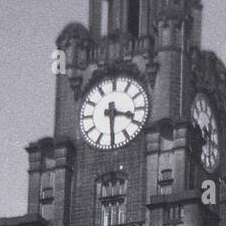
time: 3:29
